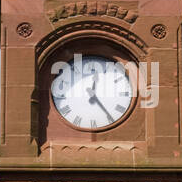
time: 12:24
